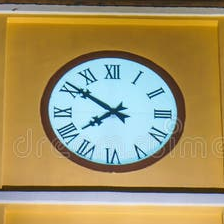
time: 7:50
